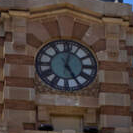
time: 5:01
